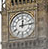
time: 12:13
